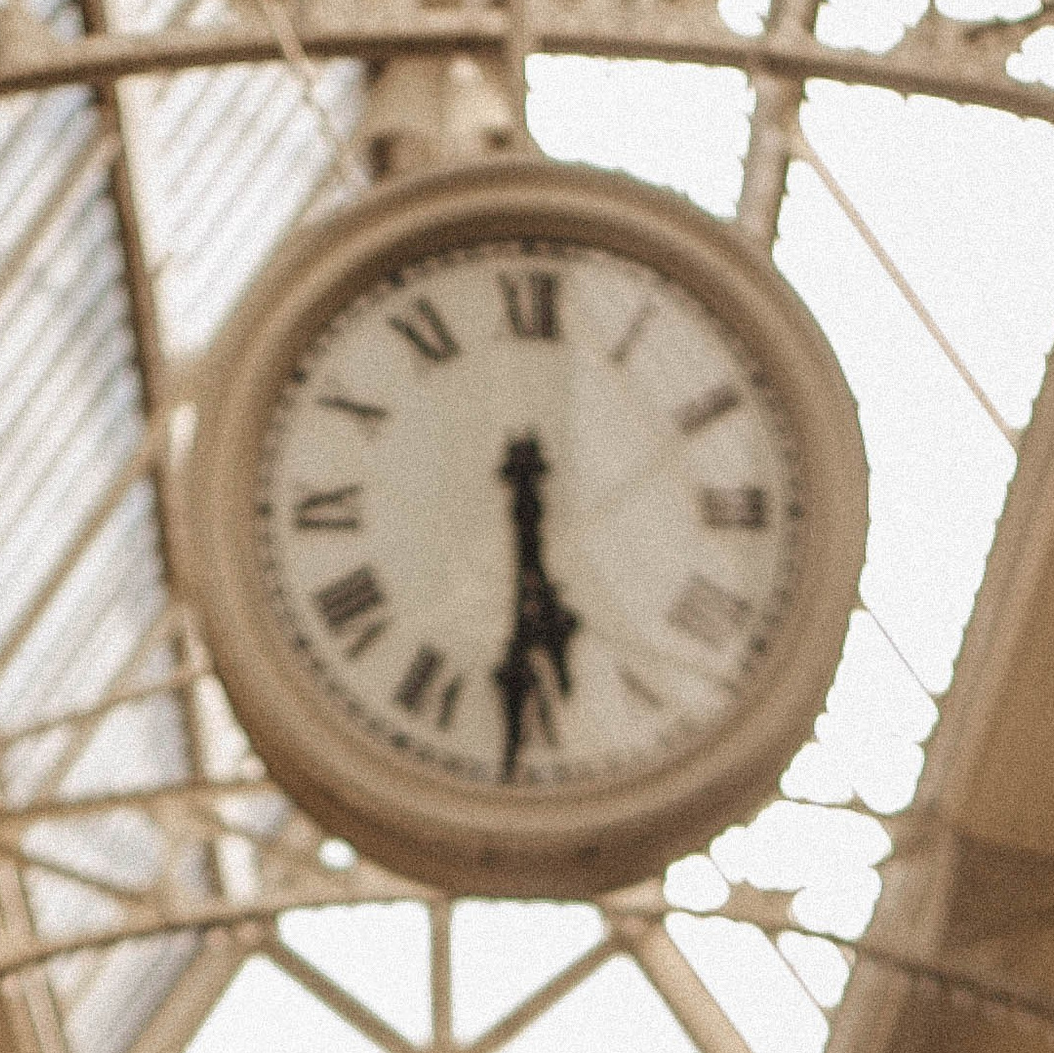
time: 5:30
